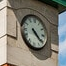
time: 4:21
